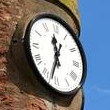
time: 11:33
